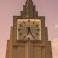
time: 6:25
